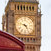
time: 4:47
